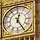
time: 12:24
